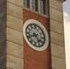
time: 4:40
